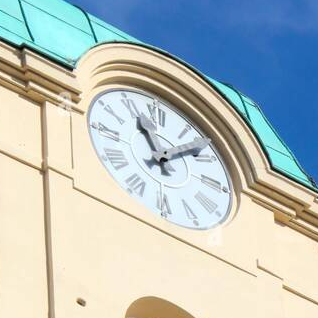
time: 11:08
